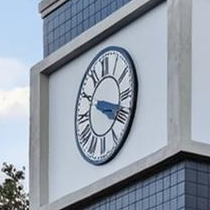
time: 3:18
